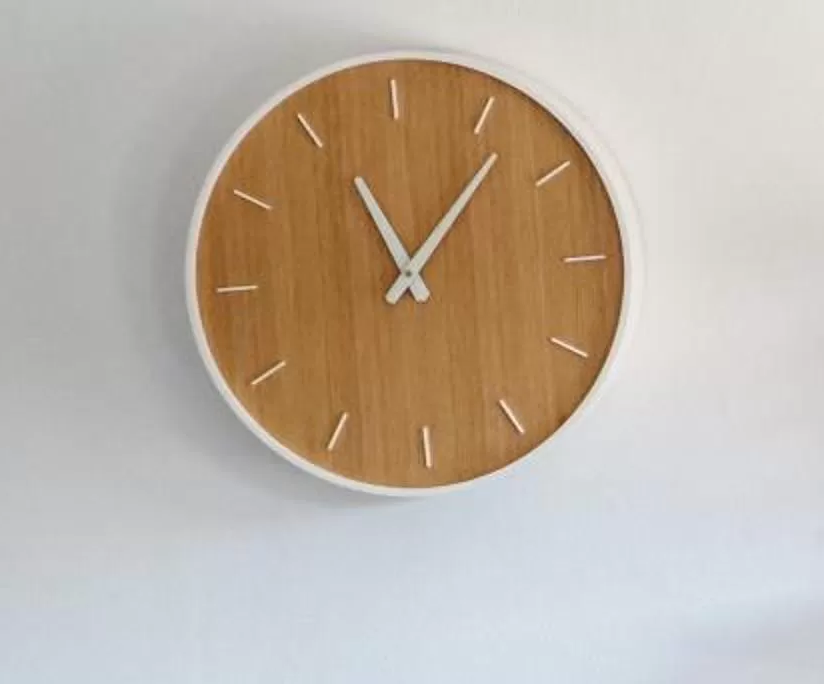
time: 11:07
